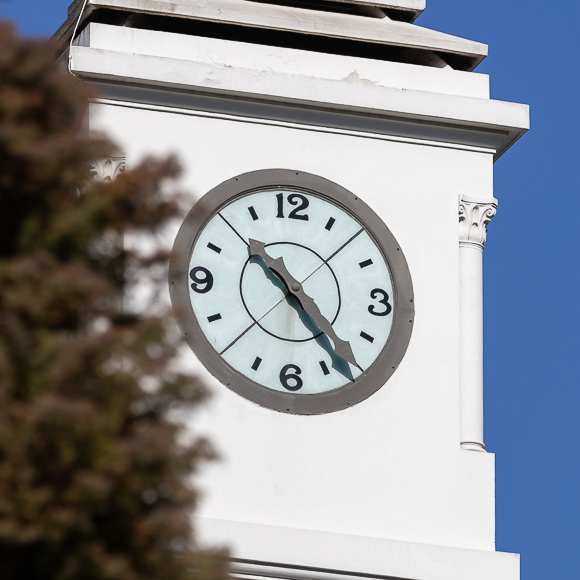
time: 10:23
